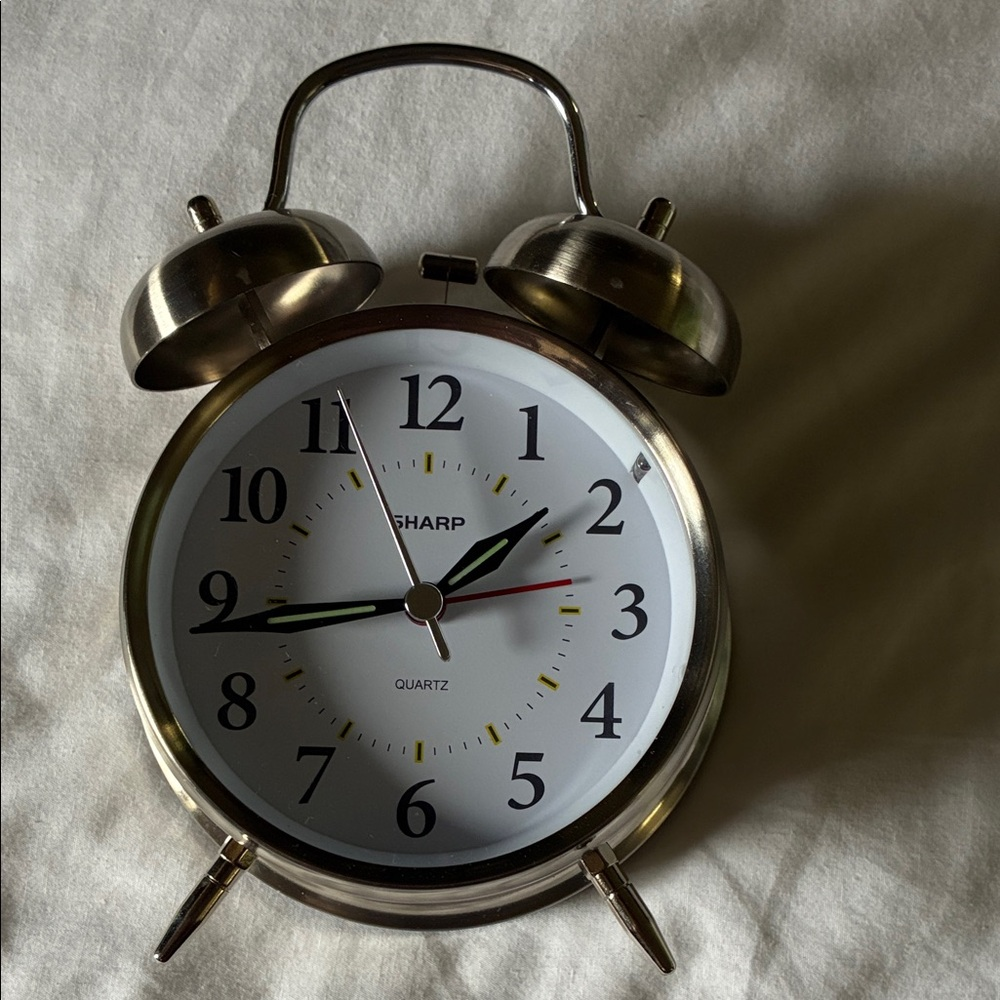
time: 1:43
